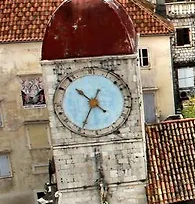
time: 10:34
